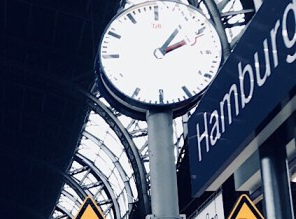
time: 2:06
